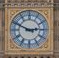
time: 2:49
